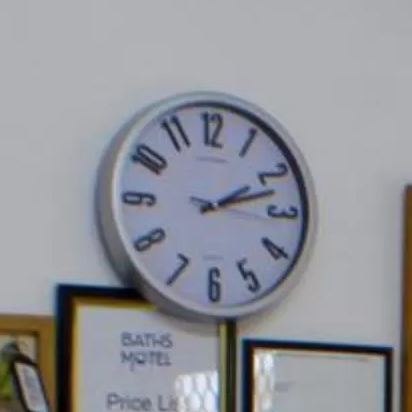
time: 2:12
